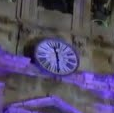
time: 11:29
